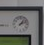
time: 1:11
